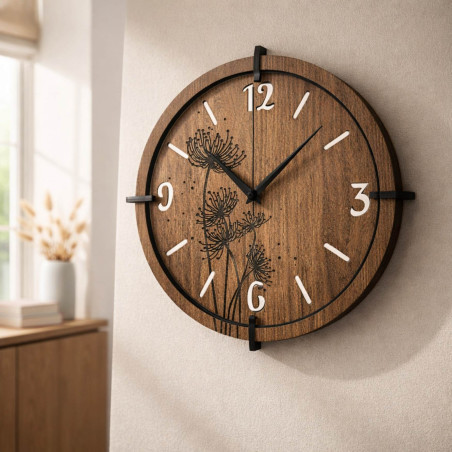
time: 10:07
